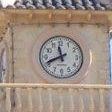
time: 11:41
